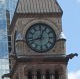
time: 12:42
